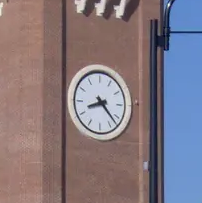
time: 8:22
